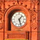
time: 1:27
